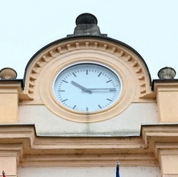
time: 10:14
